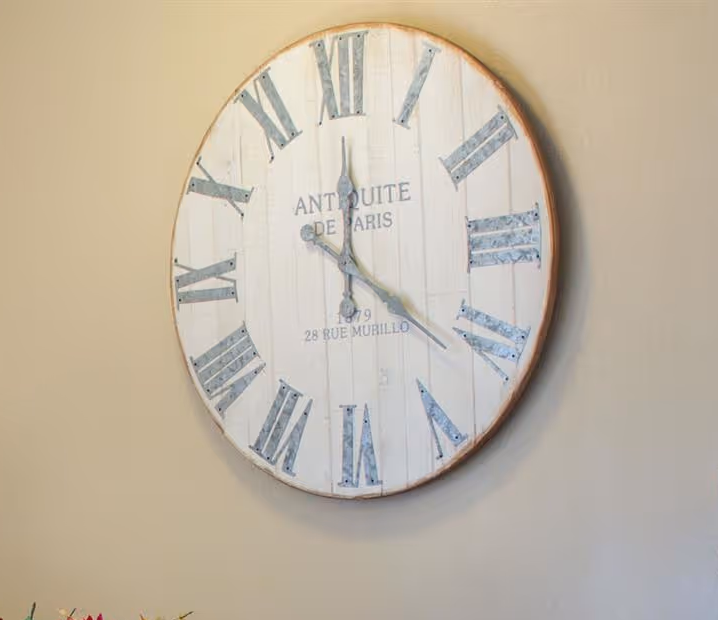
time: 12:21
